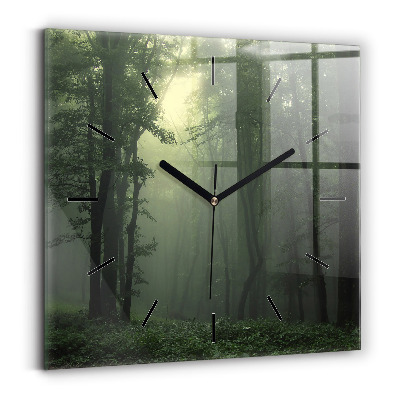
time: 10:11
